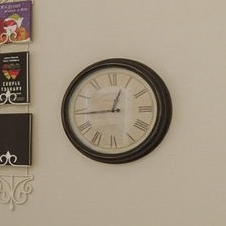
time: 12:44
